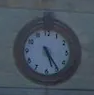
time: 5:24
